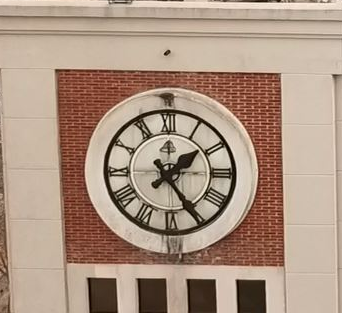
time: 1:24
